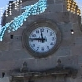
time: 11:46
